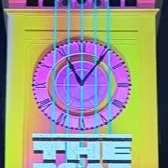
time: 11:06
